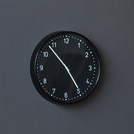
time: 4:53
